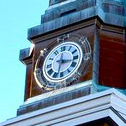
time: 3:32
